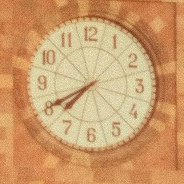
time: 7:40
